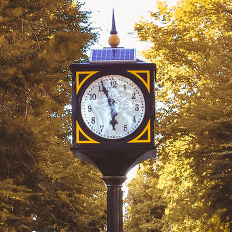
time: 5:56
